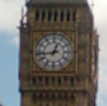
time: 12:43
